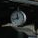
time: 11:42
